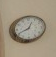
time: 12:40
